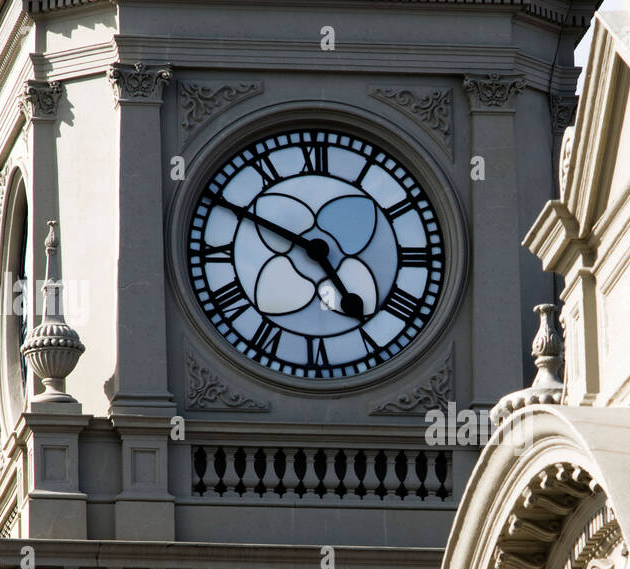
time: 4:49
